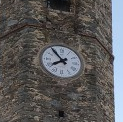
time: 7:53
